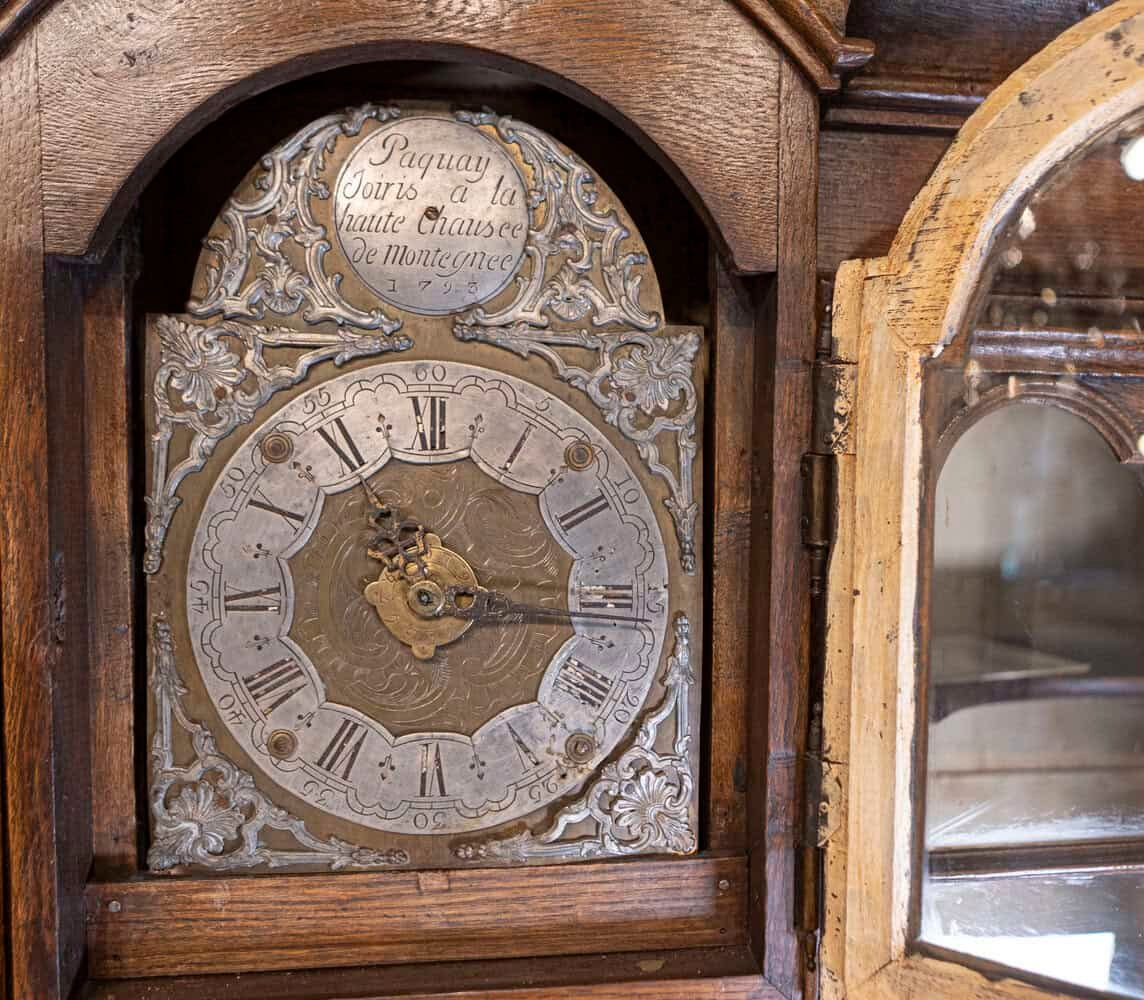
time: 11:16
